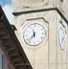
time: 11:37
